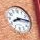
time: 8:14
